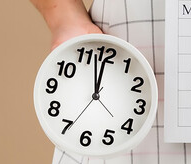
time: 11:57
